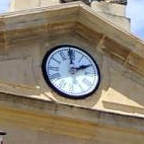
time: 1:59
